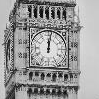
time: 12:01
